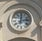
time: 12:13
